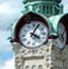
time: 4:04
